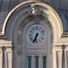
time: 6:34
